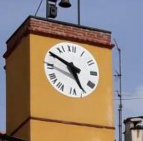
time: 4:50
